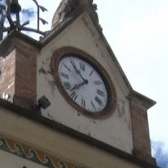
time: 10:37
